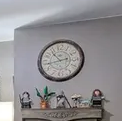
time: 10:43
